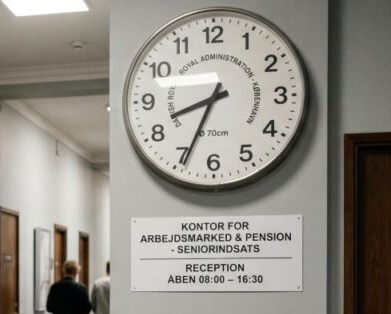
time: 8:34
